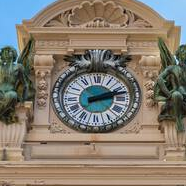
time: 2:12
